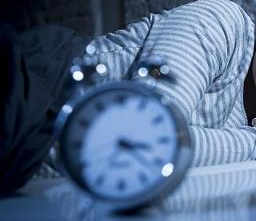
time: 3:22
